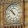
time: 10:52
